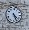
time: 4:26
